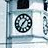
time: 7:07
